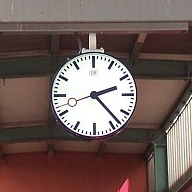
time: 2:23
